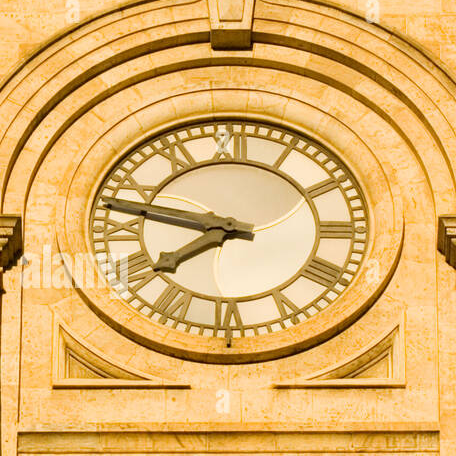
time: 7:46
